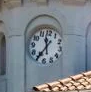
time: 11:35
